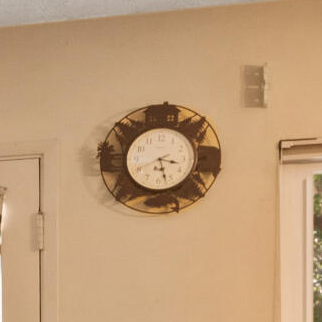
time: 3:27
